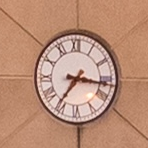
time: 7:16
